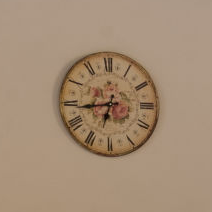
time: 6:43
